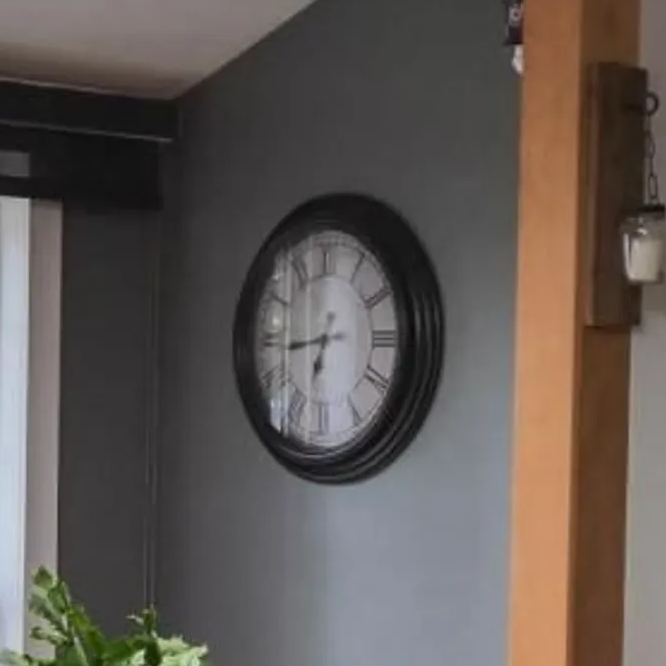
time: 6:43
